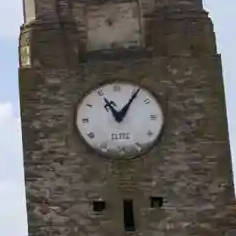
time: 11:06
